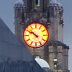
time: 9:51
